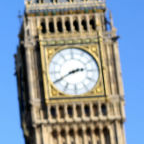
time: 2:40
